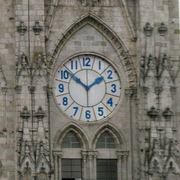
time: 1:51
